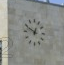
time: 12:49
